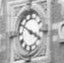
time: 3:50
